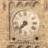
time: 7:37
